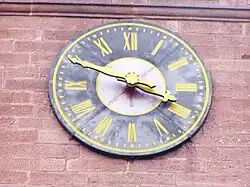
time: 3:49
